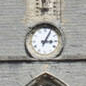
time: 3:04
